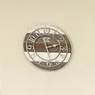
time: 2:57
